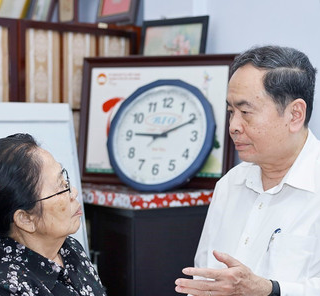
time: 9:10
